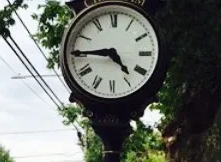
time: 4:44
